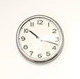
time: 10:17
